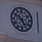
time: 4:50
